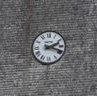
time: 2:18
